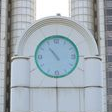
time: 10:53
